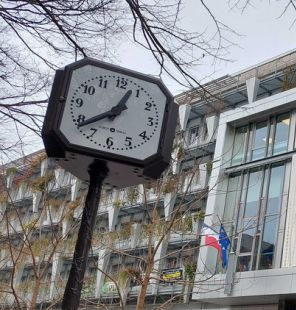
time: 12:38
